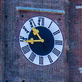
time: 10:43
